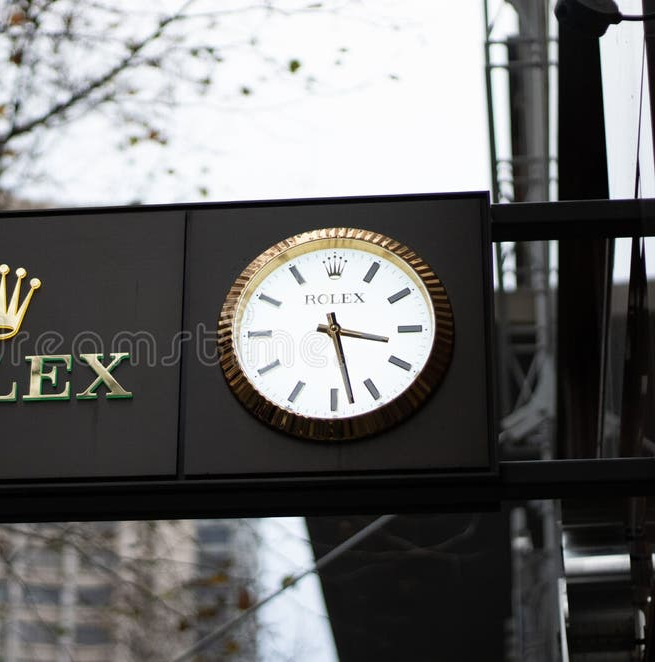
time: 3:27
